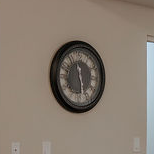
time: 11:28
